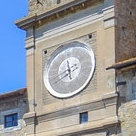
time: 11:40
